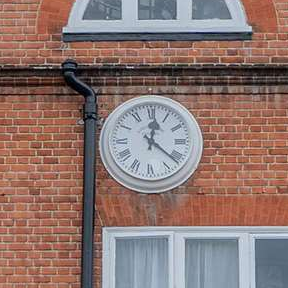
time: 12:21
